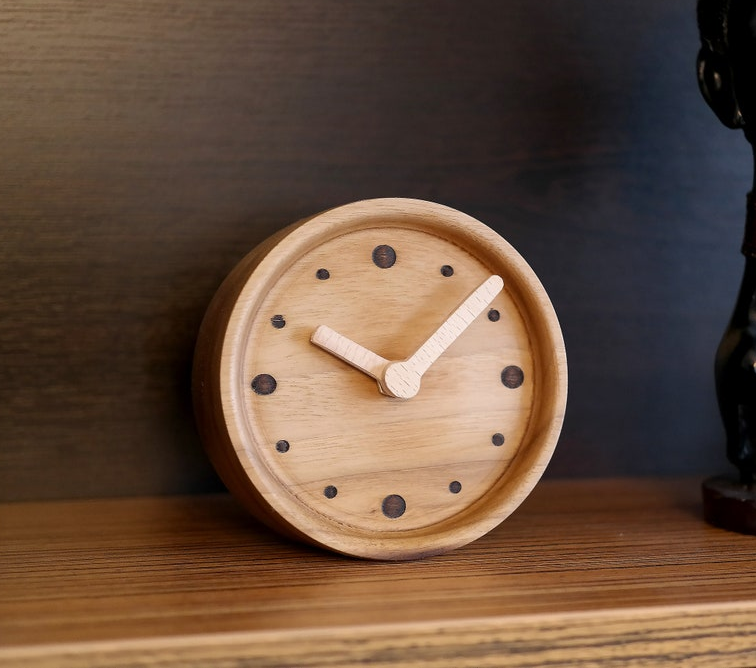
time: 10:08
